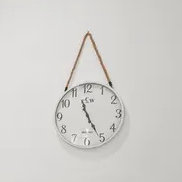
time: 11:25
